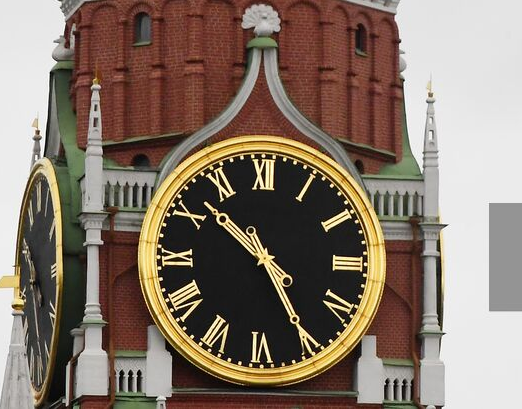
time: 10:25
